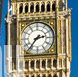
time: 2:36
